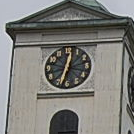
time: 12:33
